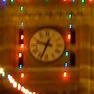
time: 9:33
